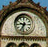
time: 9:34
